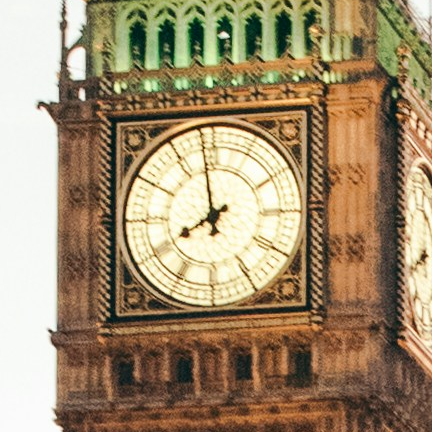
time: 7:58
